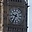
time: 9:35
